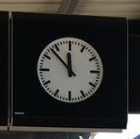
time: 11:52
